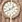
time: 1:40
